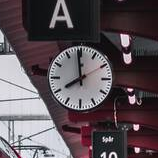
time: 7:59
